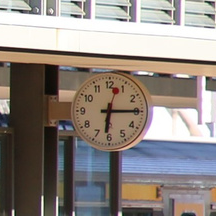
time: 6:14
